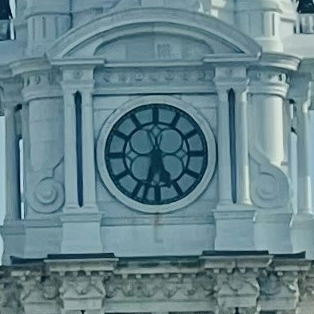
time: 11:32
